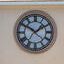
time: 1:50
